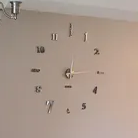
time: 12:14
